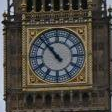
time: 10:53
